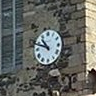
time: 10:48
